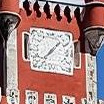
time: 7:07
